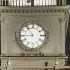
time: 8:53
